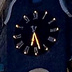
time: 6:27
